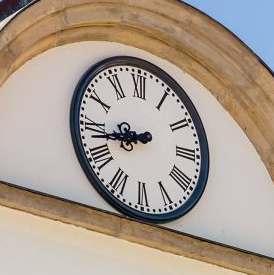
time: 8:43
